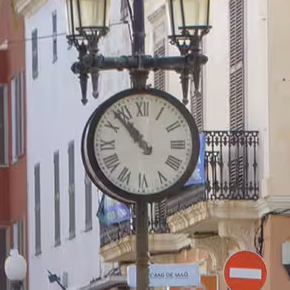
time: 10:53
